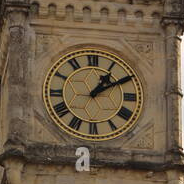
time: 1:09
